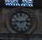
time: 9:13
